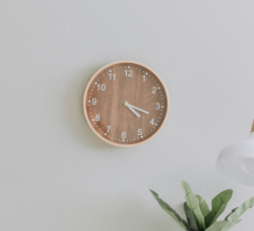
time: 4:18
